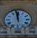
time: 11:58
